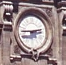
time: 2:45
